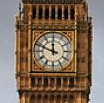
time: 11:48
